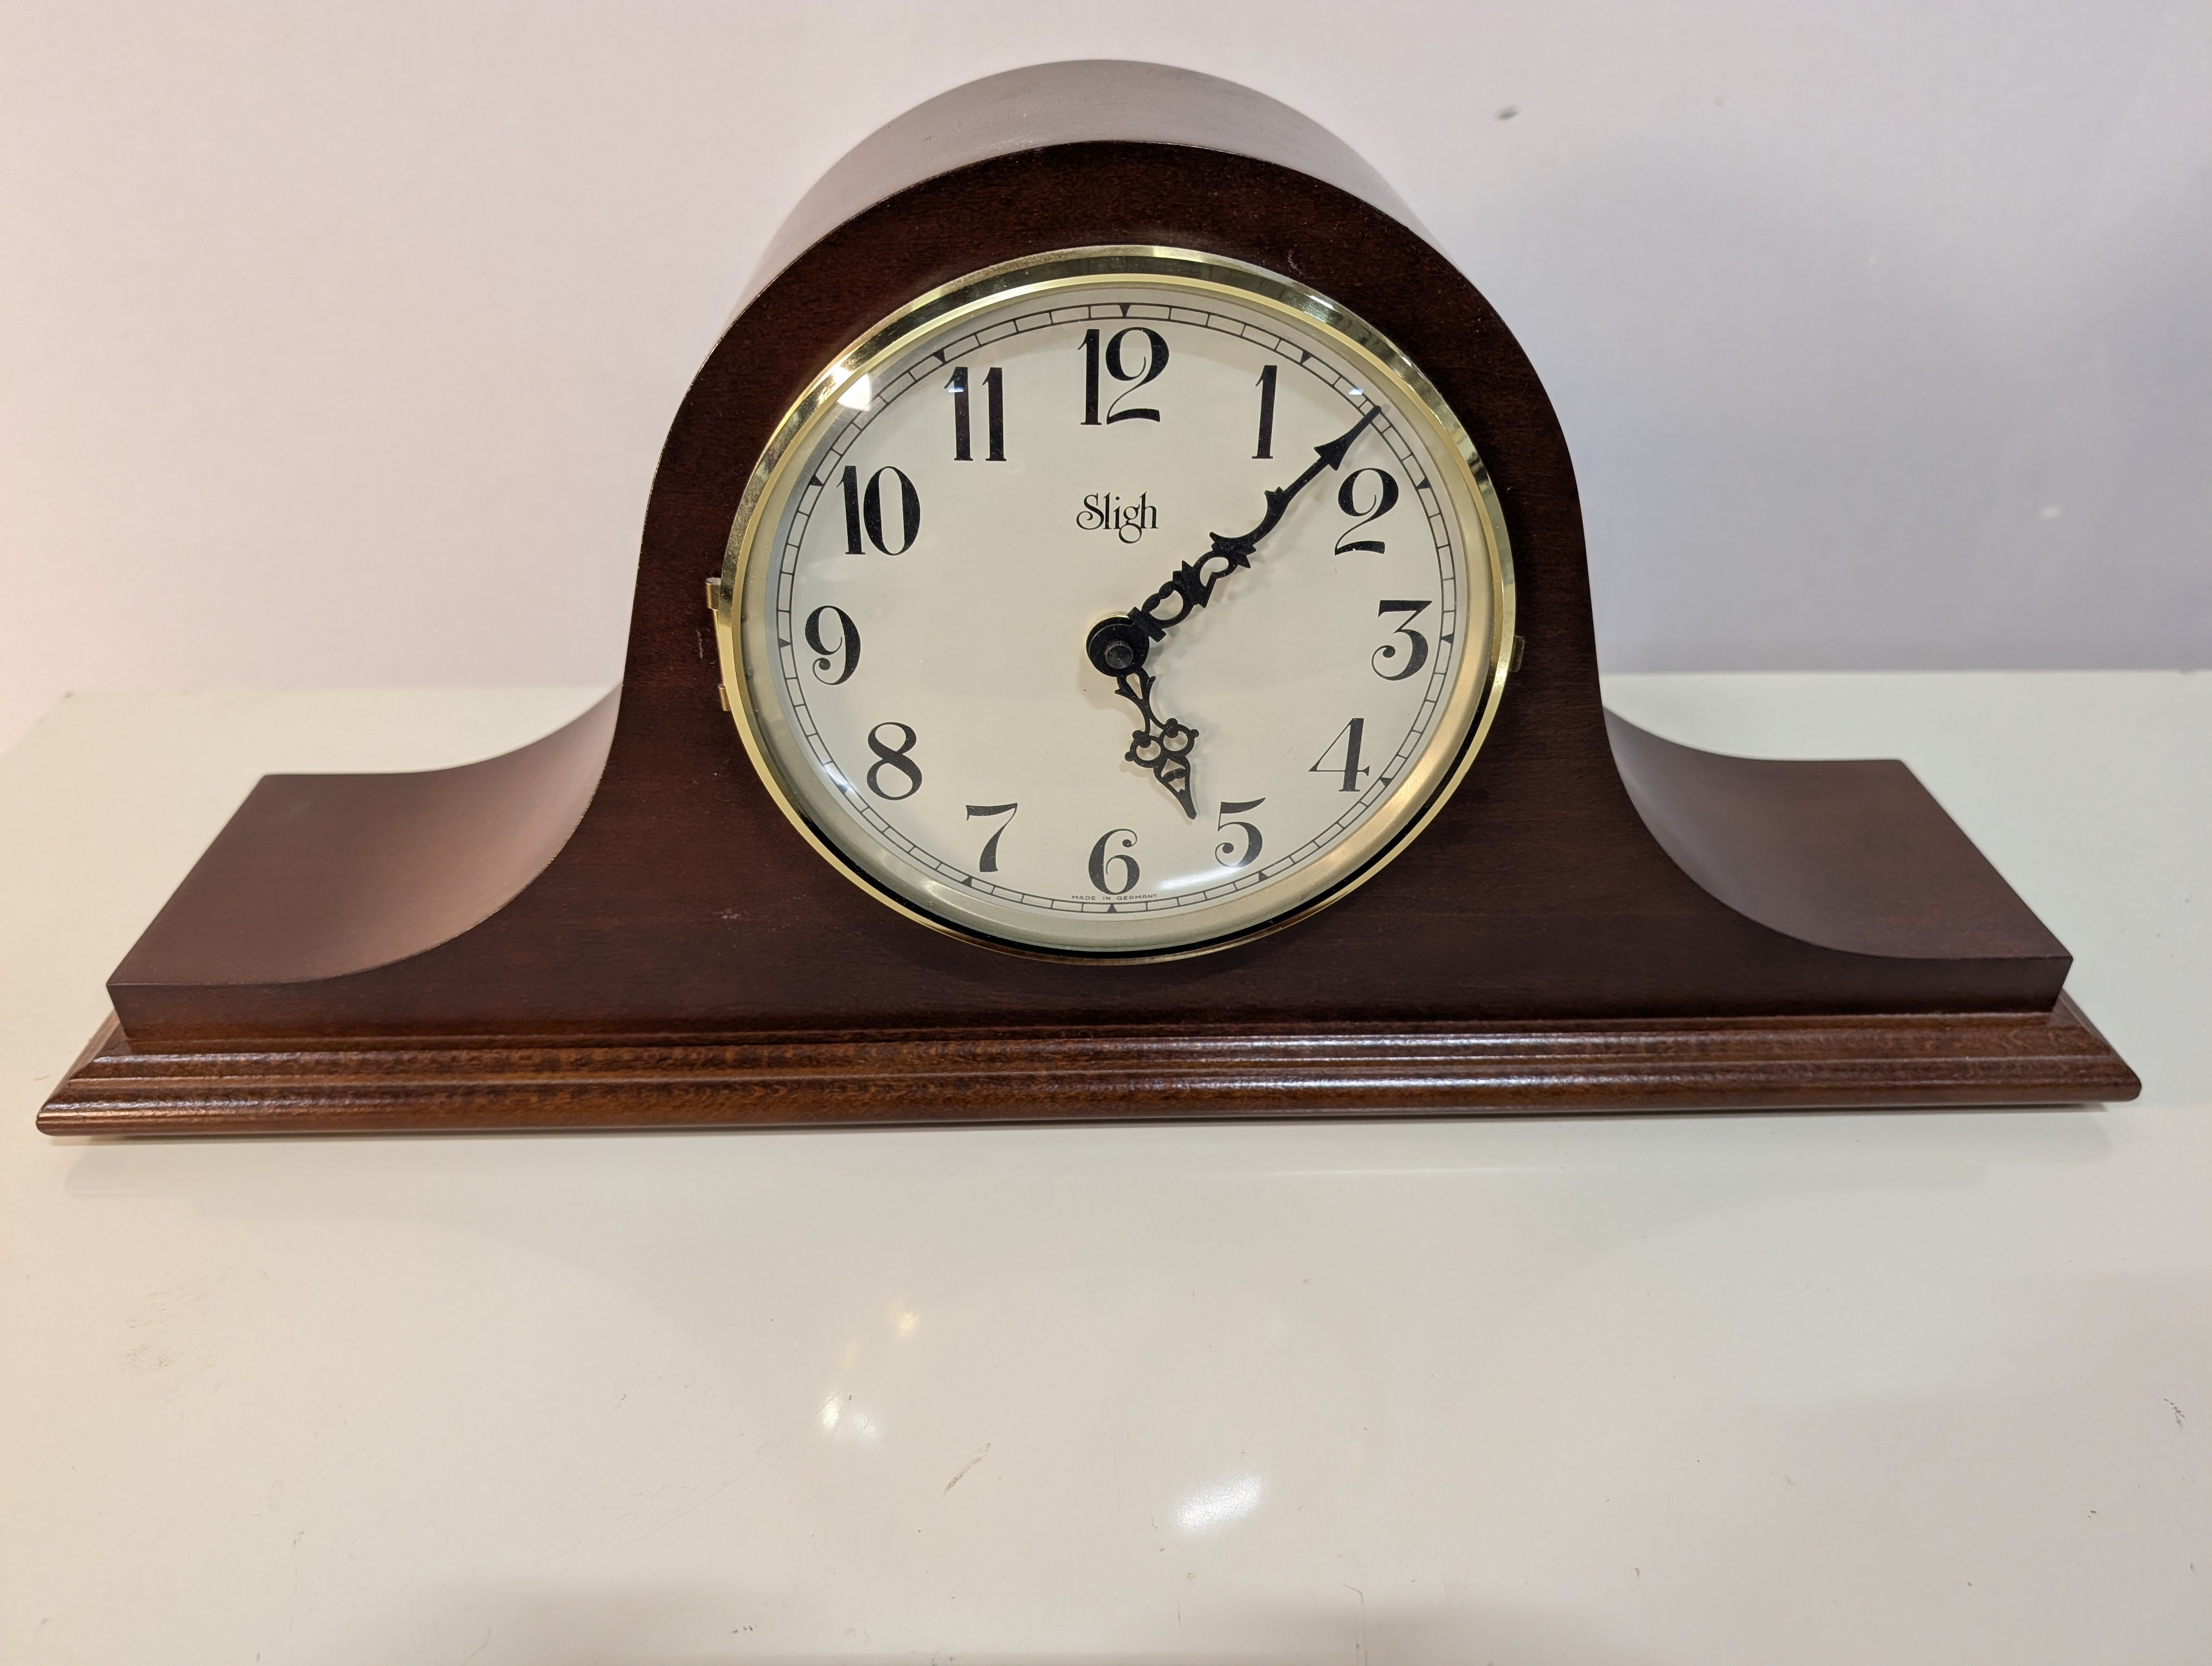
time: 5:07
